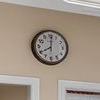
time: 8:00
